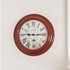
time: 9:14
